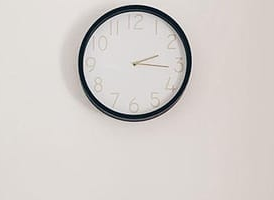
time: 2:15
